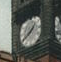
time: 1:39
